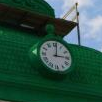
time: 3:01
